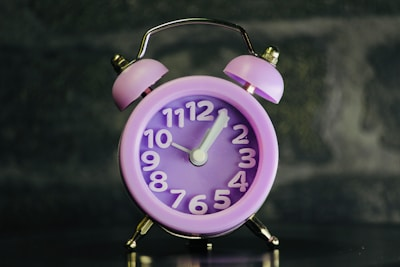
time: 10:05
